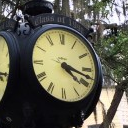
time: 4:17
